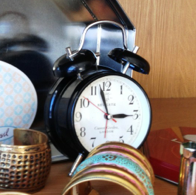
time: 2:58
